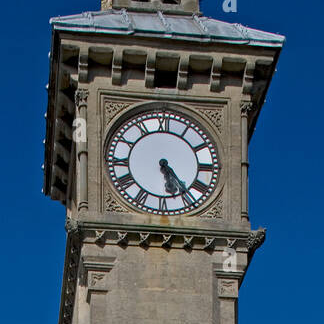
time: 5:23
